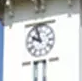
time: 9:57
